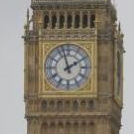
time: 1:57
